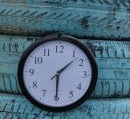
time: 1:29
